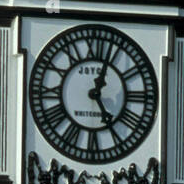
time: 5:03
